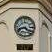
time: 8:21
